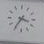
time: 3:35
